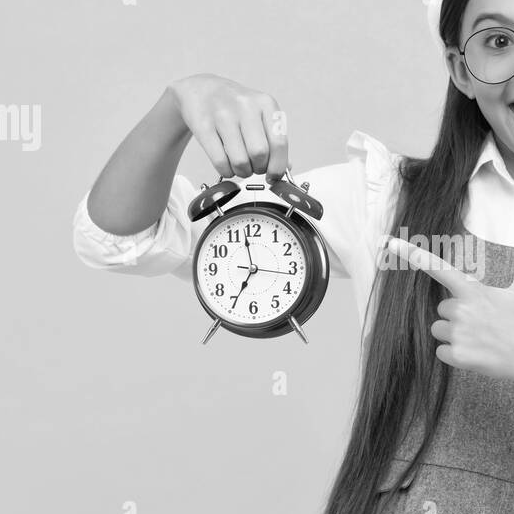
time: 6:58
